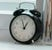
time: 12:57
